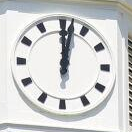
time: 12:02
